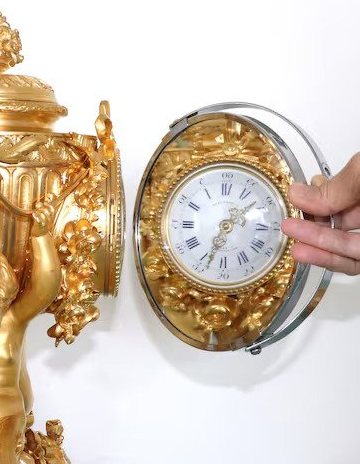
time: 1:33
